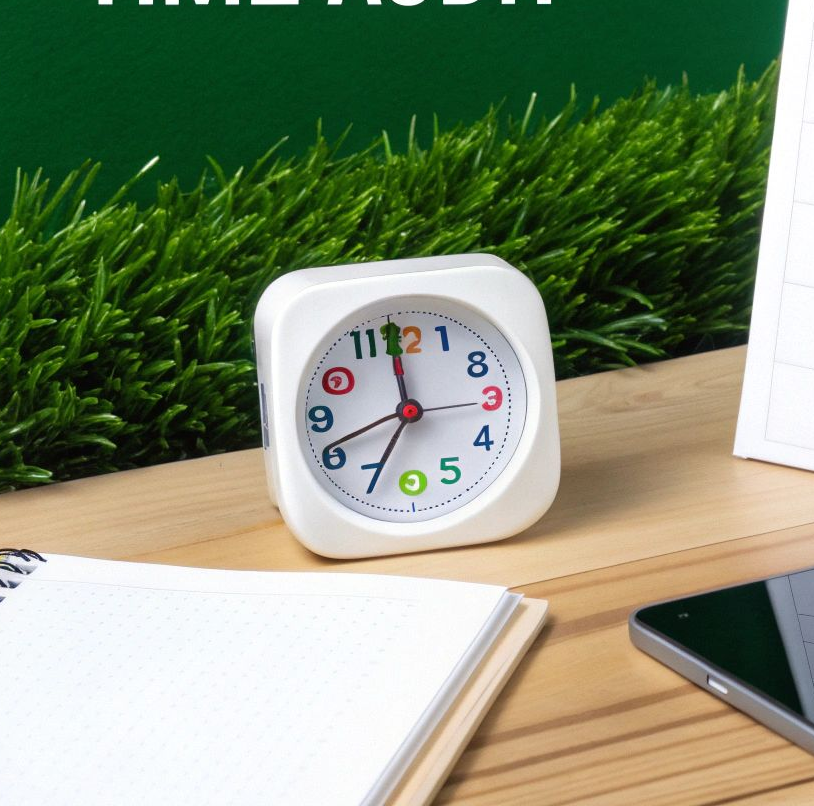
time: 6:58
